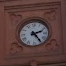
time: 2:24
